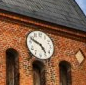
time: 4:48
